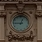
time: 12:45
